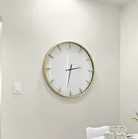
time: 2:32
